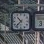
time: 10:37
